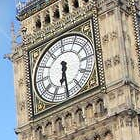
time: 6:29
